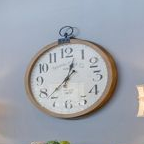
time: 12:37
